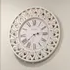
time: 2:38
